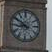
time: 8:50
